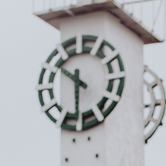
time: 10:30
